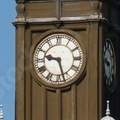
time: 9:27
